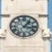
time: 1:16
